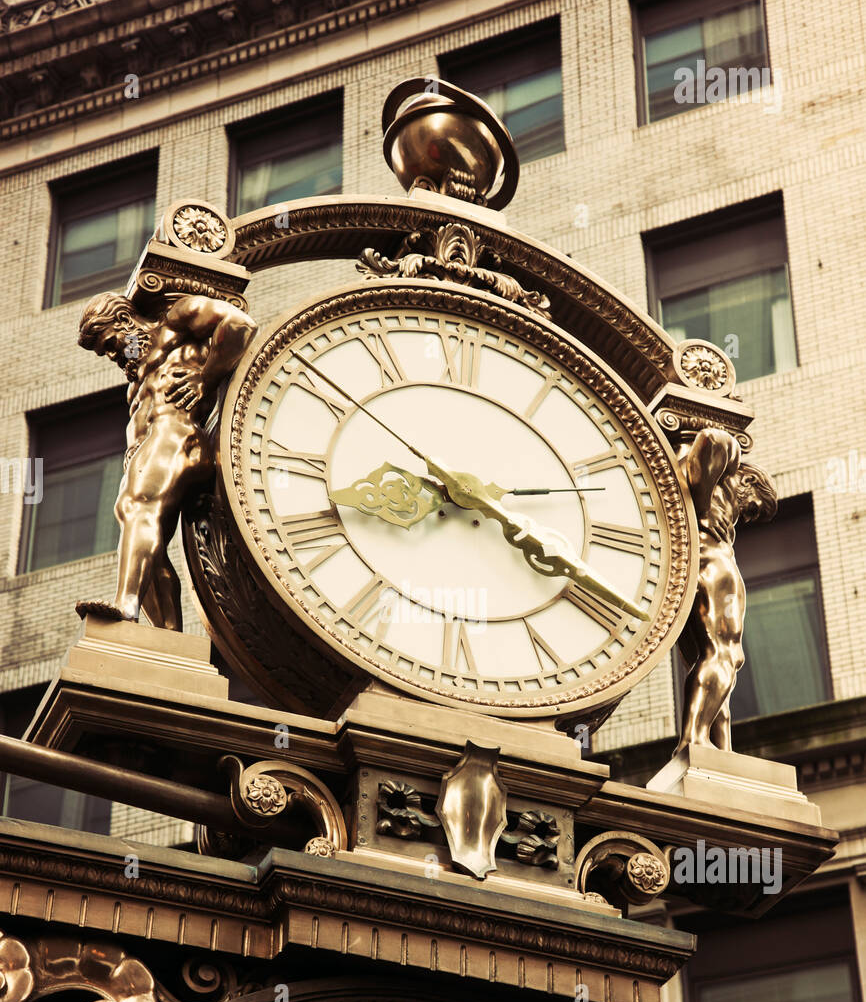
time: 8:19
